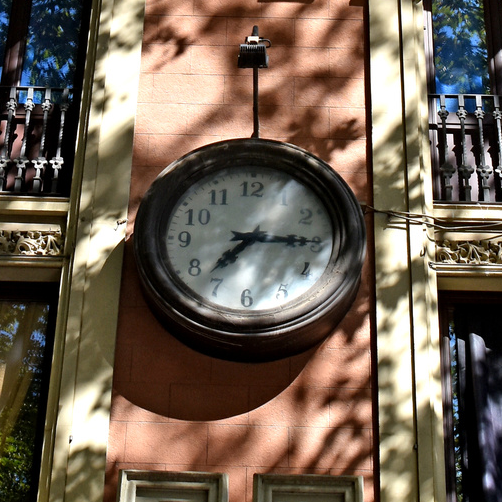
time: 7:15
